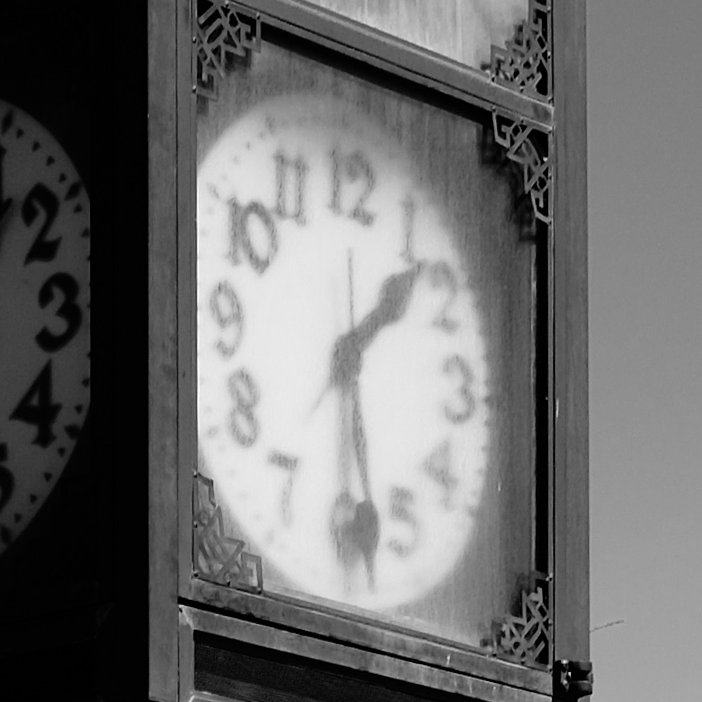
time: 1:27
